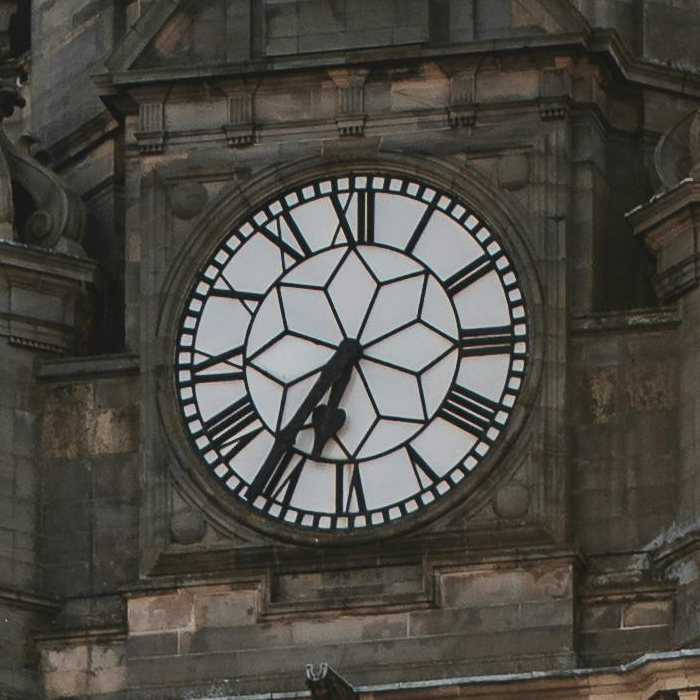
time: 6:36
